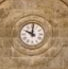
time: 10:00
